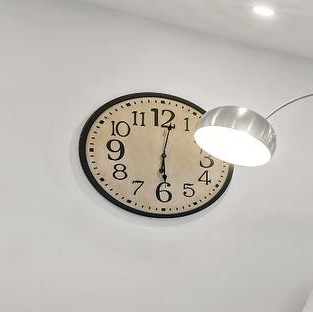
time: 6:01
